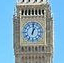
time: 1:01
